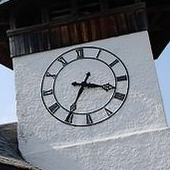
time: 3:34
